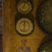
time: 12:32
